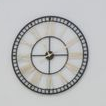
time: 3:00
